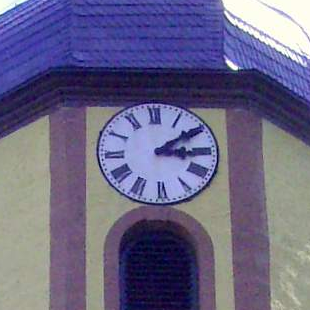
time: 3:09
